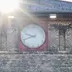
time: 9:41
